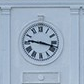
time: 9:17
